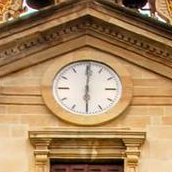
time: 6:00
